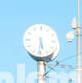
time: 5:31
